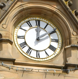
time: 12:09
